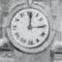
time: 12:14
